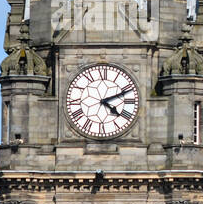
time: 4:10
